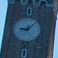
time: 9:07
